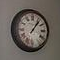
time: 1:06
